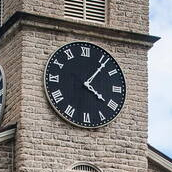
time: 4:06
